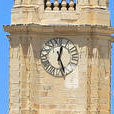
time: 12:26
